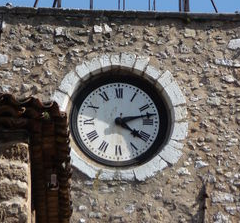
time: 4:12
